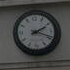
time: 2:18
